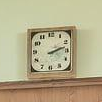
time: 2:12
